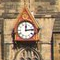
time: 12:13
